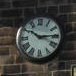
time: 10:14
